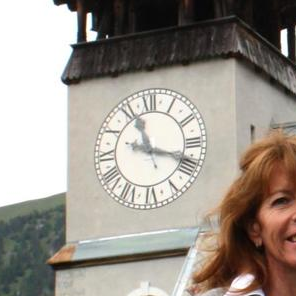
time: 11:18
